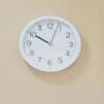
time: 10:03
